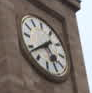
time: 4:38
